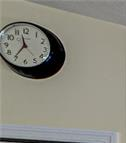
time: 11:35
